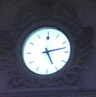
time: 5:12
